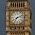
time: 7:11
